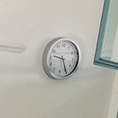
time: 9:25
